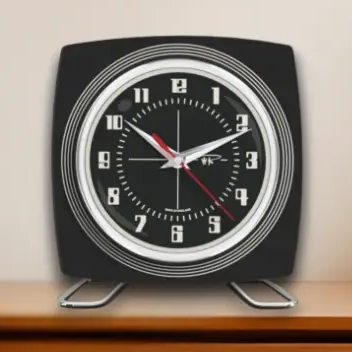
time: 10:11
